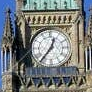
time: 12:36
